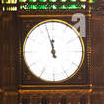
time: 11:57
